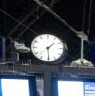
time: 1:29
